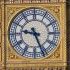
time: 9:26
